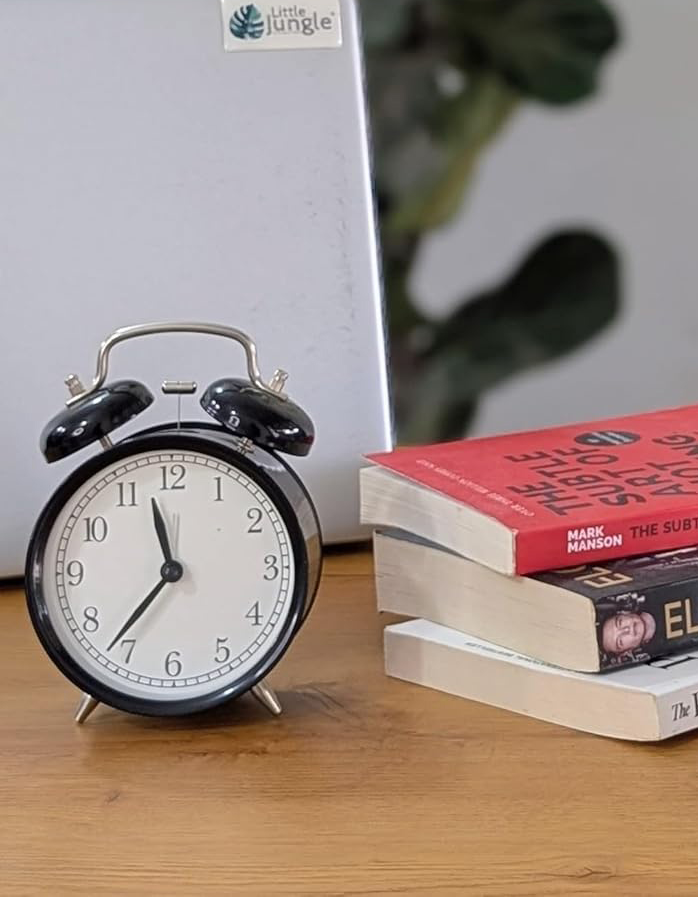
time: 11:36
